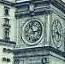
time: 11:13
